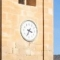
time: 3:34
